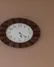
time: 5:21
